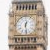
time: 12:28
